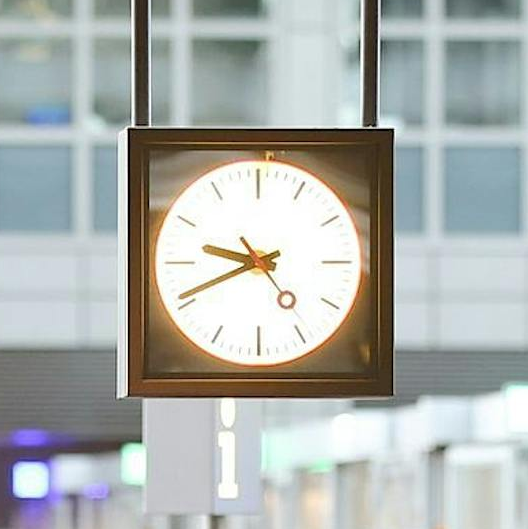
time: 9:41
